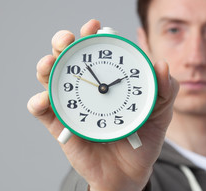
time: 1:53
